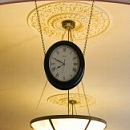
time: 7:49
